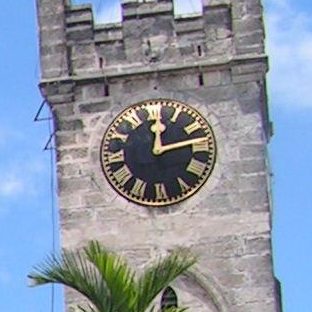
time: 12:13
